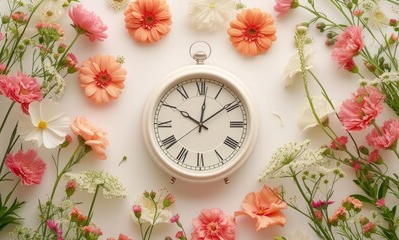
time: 10:01
